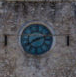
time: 8:12
